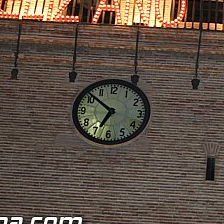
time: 6:52
